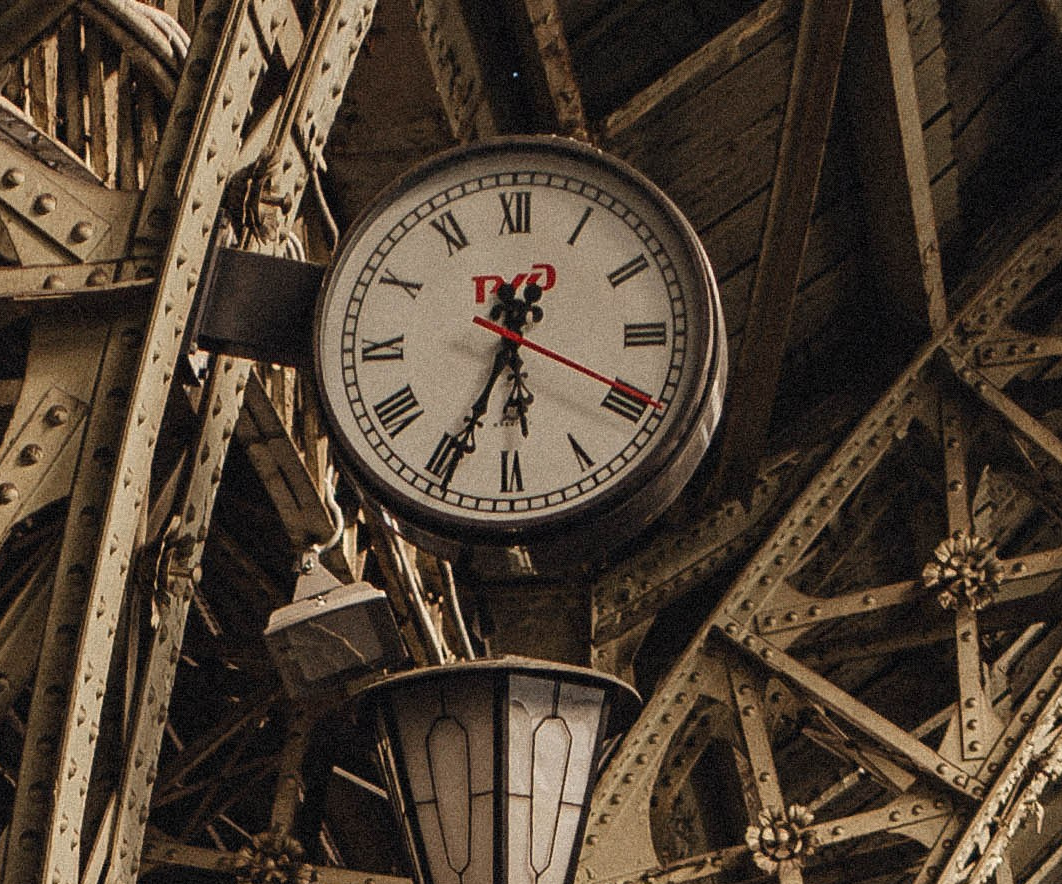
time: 5:34
